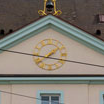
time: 1:18
